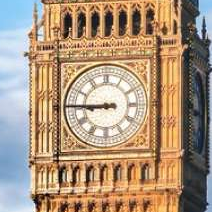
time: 8:45
